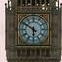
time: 5:50
